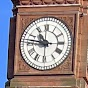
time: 10:46
